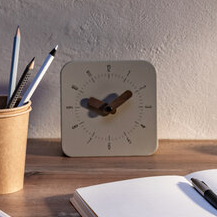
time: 1:47
